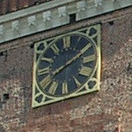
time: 8:09
